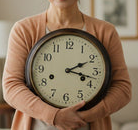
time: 2:17
